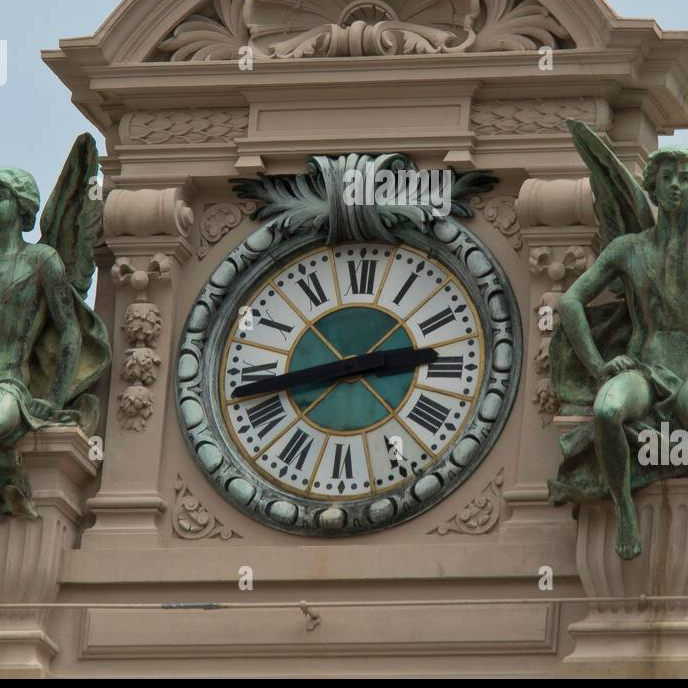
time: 2:42
